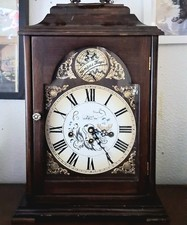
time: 3:24
